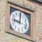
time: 9:01
